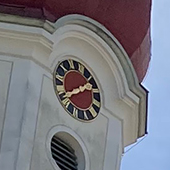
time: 1:40
